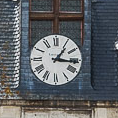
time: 1:16
